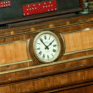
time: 1:53
